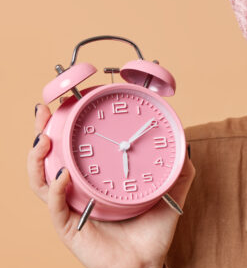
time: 6:09
